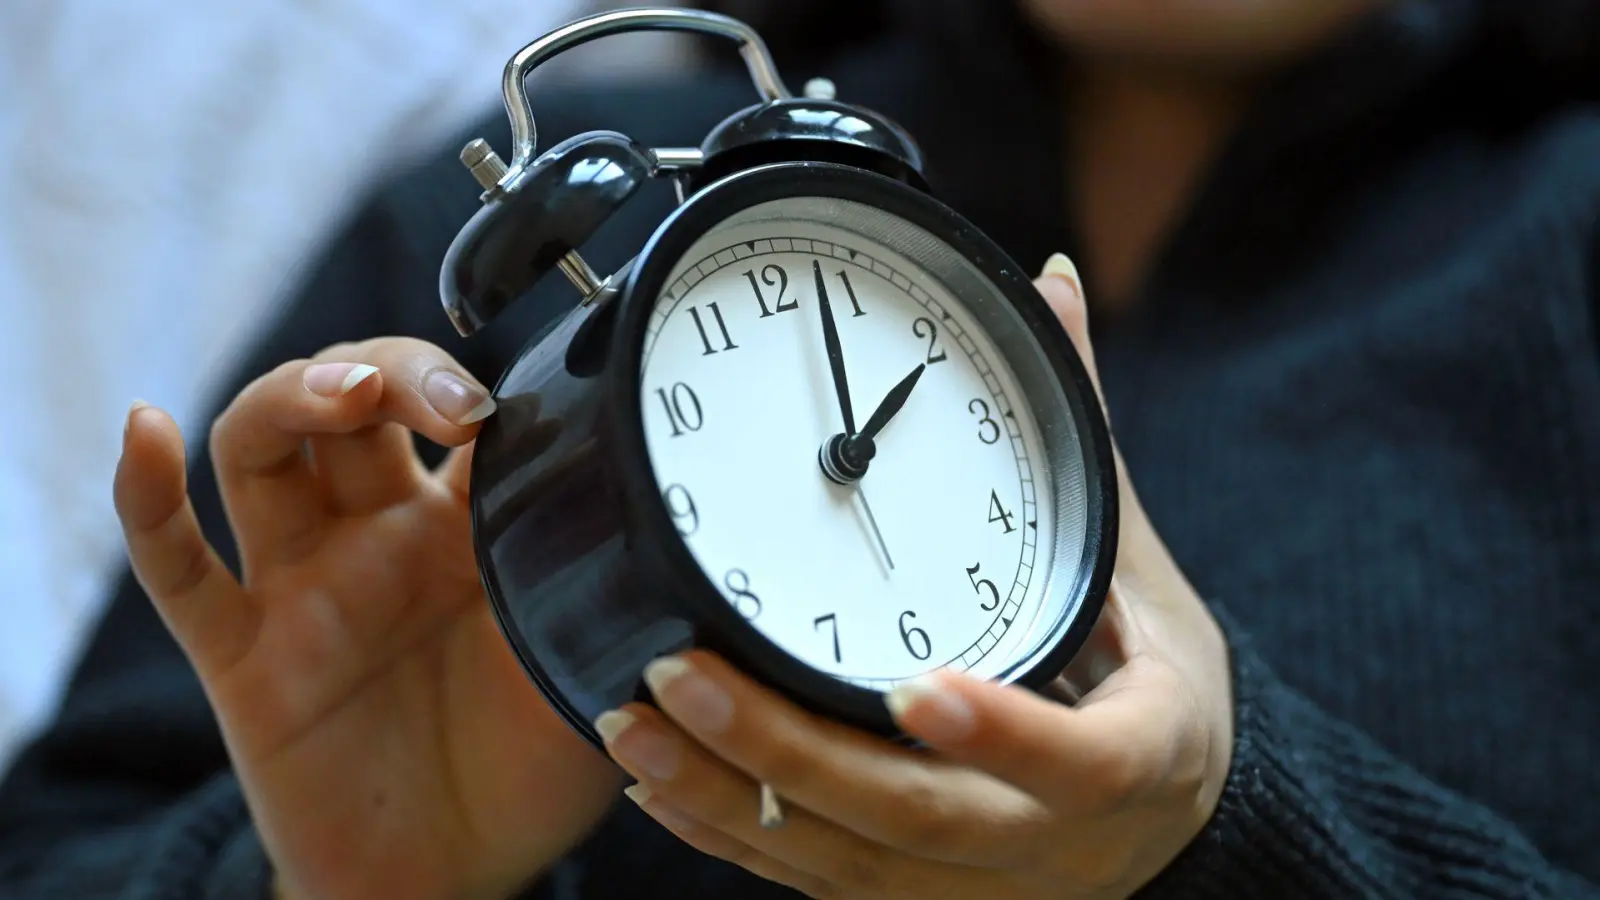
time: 2:03
